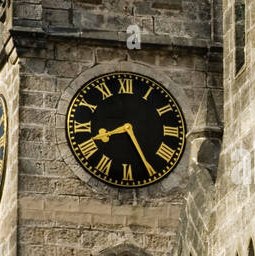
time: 8:25
